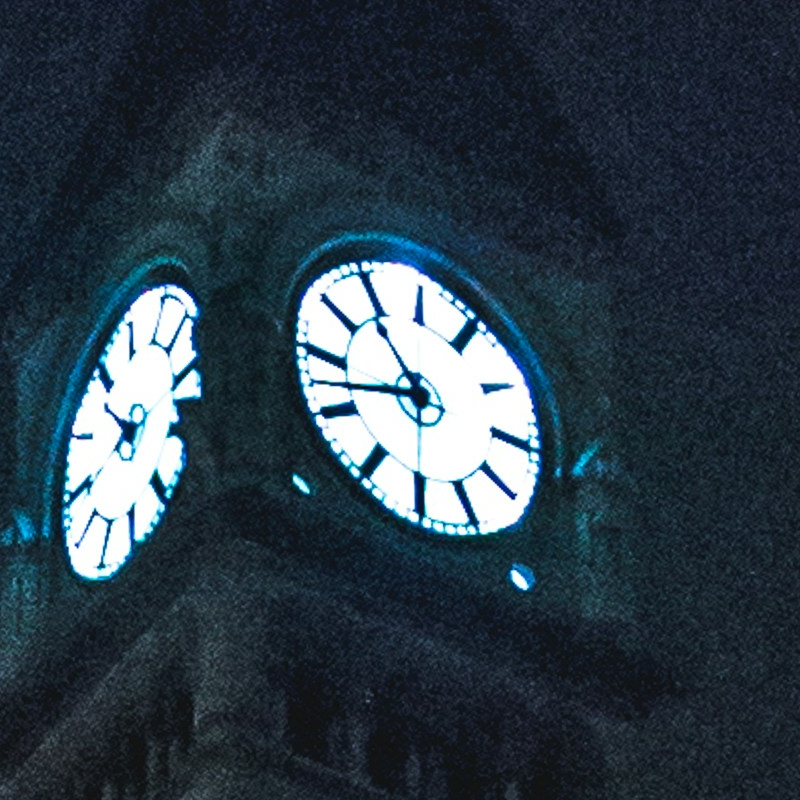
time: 10:42
